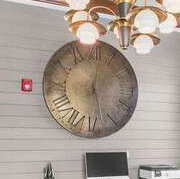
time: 12:27
